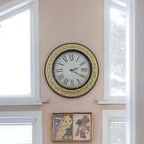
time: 2:19
